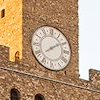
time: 2:09
